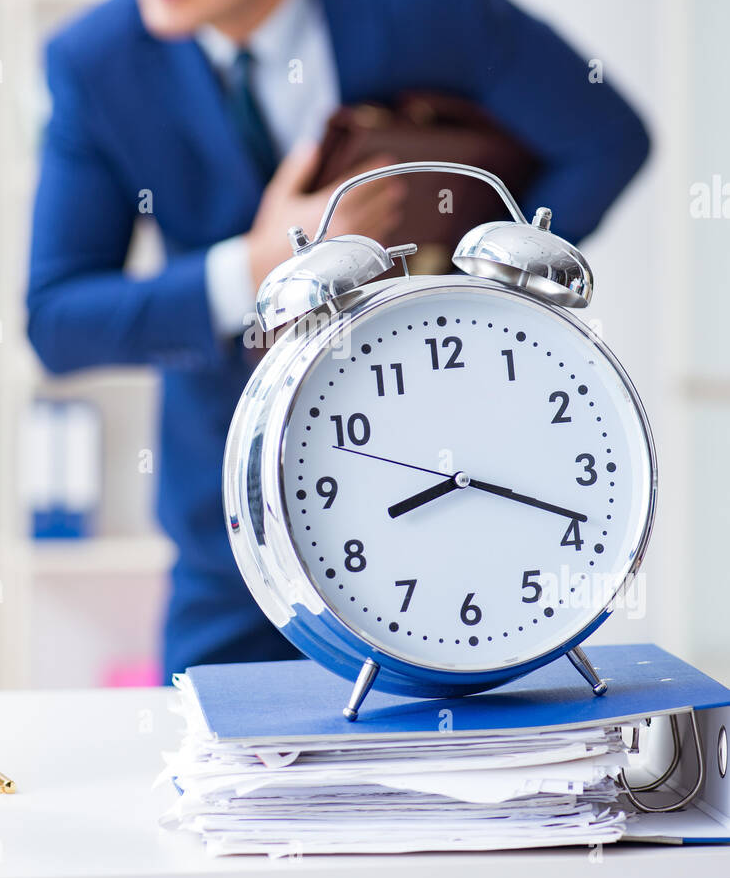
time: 8:18
